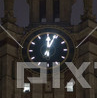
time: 12:04
